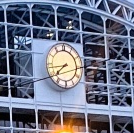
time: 7:43
